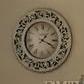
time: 1:18
